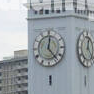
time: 12:23
